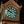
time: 9:50
